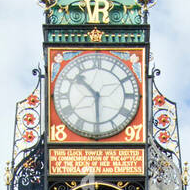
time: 10:29
